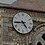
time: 4:44
